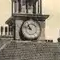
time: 10:47
